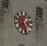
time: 1:28
